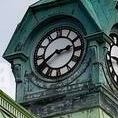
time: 2:40
